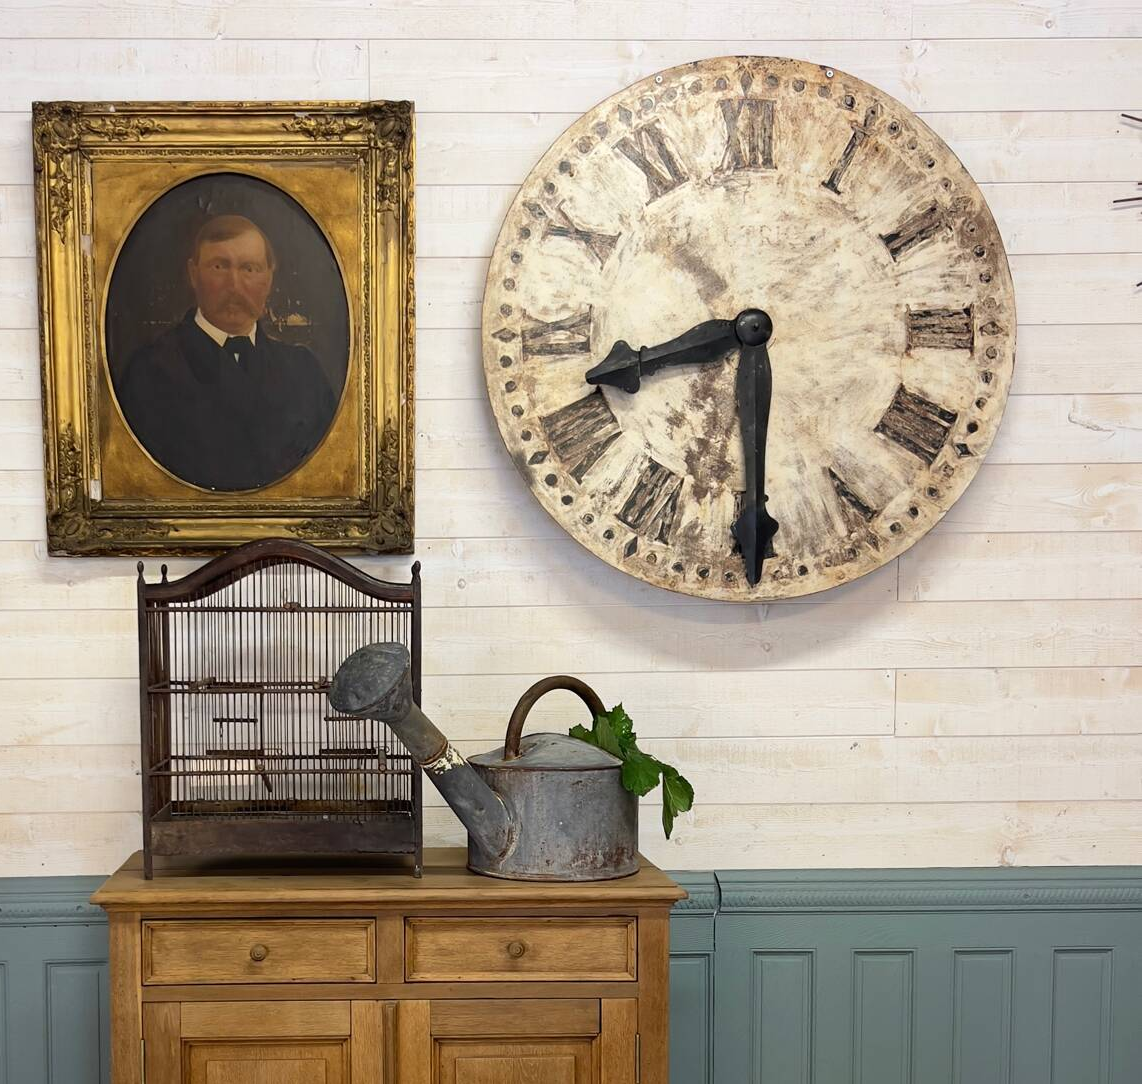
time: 8:29
